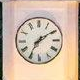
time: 7:09
